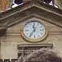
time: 11:35
